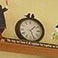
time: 1:26
